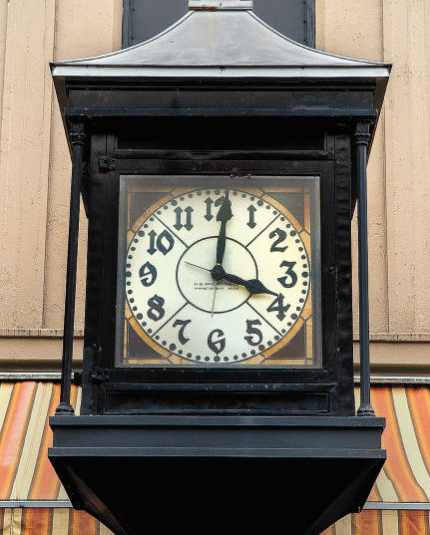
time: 4:01
